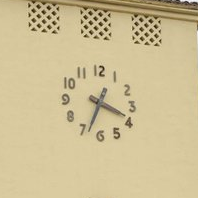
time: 3:33
